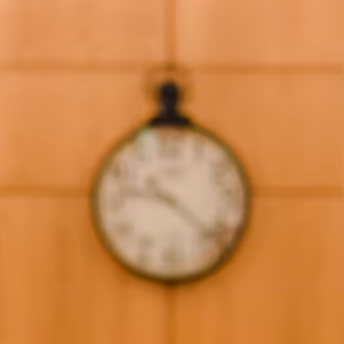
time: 9:22
